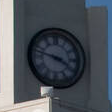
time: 3:47
